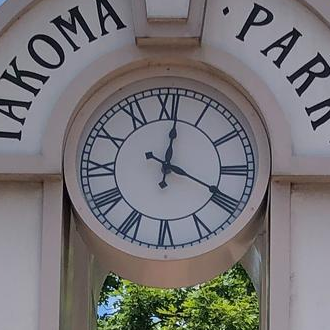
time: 12:19
